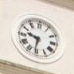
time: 9:31
